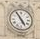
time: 4:54
